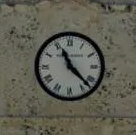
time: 11:22
